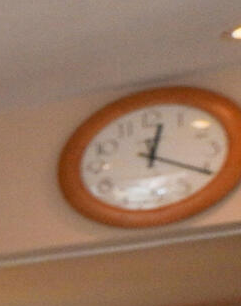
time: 12:20
